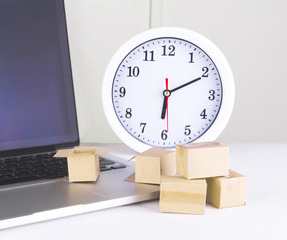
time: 6:10
